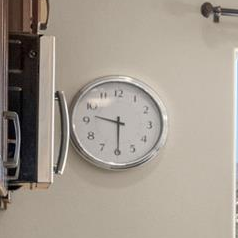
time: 9:29
